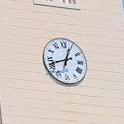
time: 12:42
